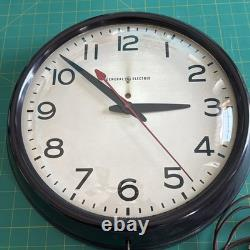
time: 2:52
